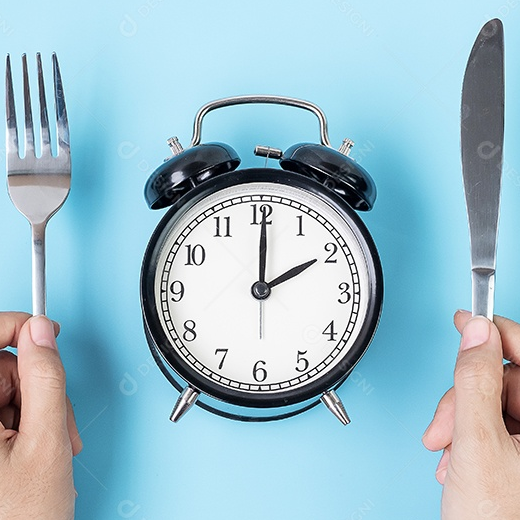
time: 2:00
